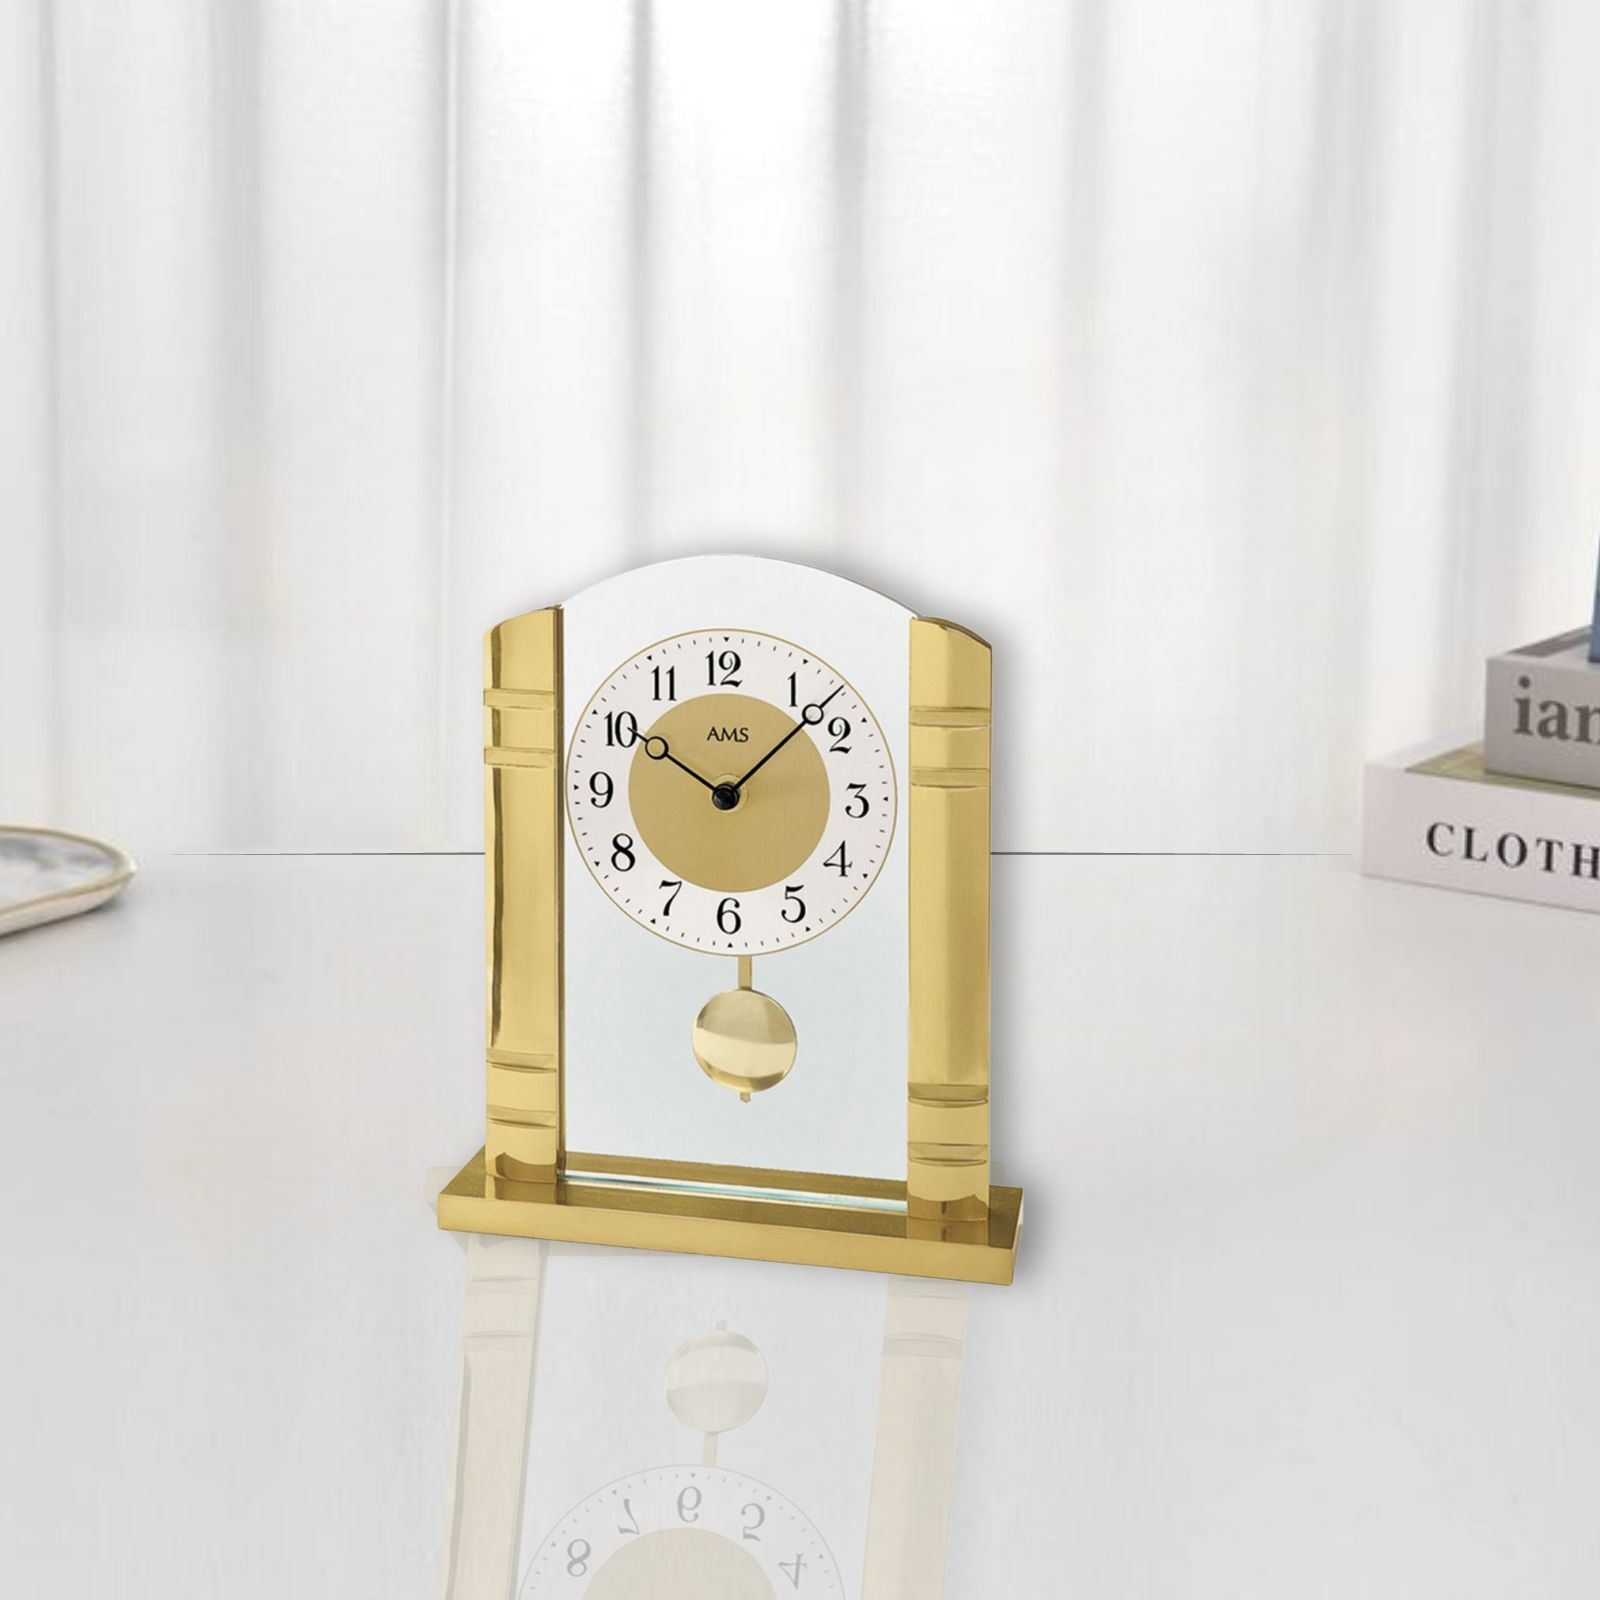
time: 10:07
